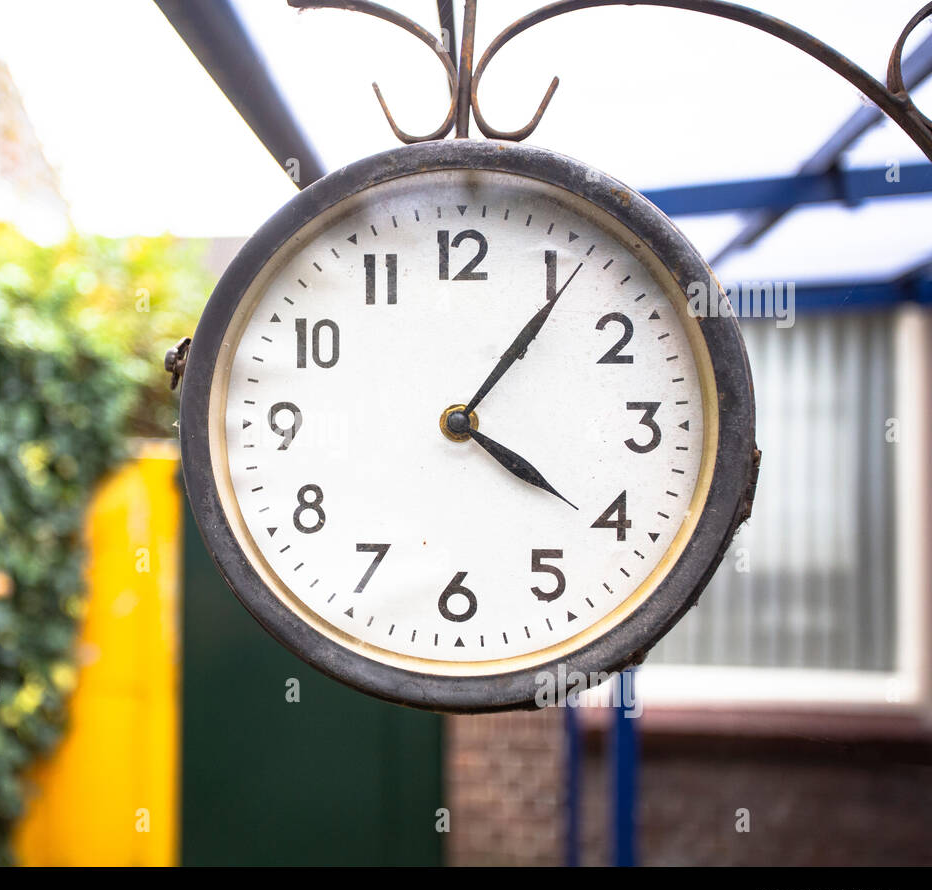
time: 4:06
